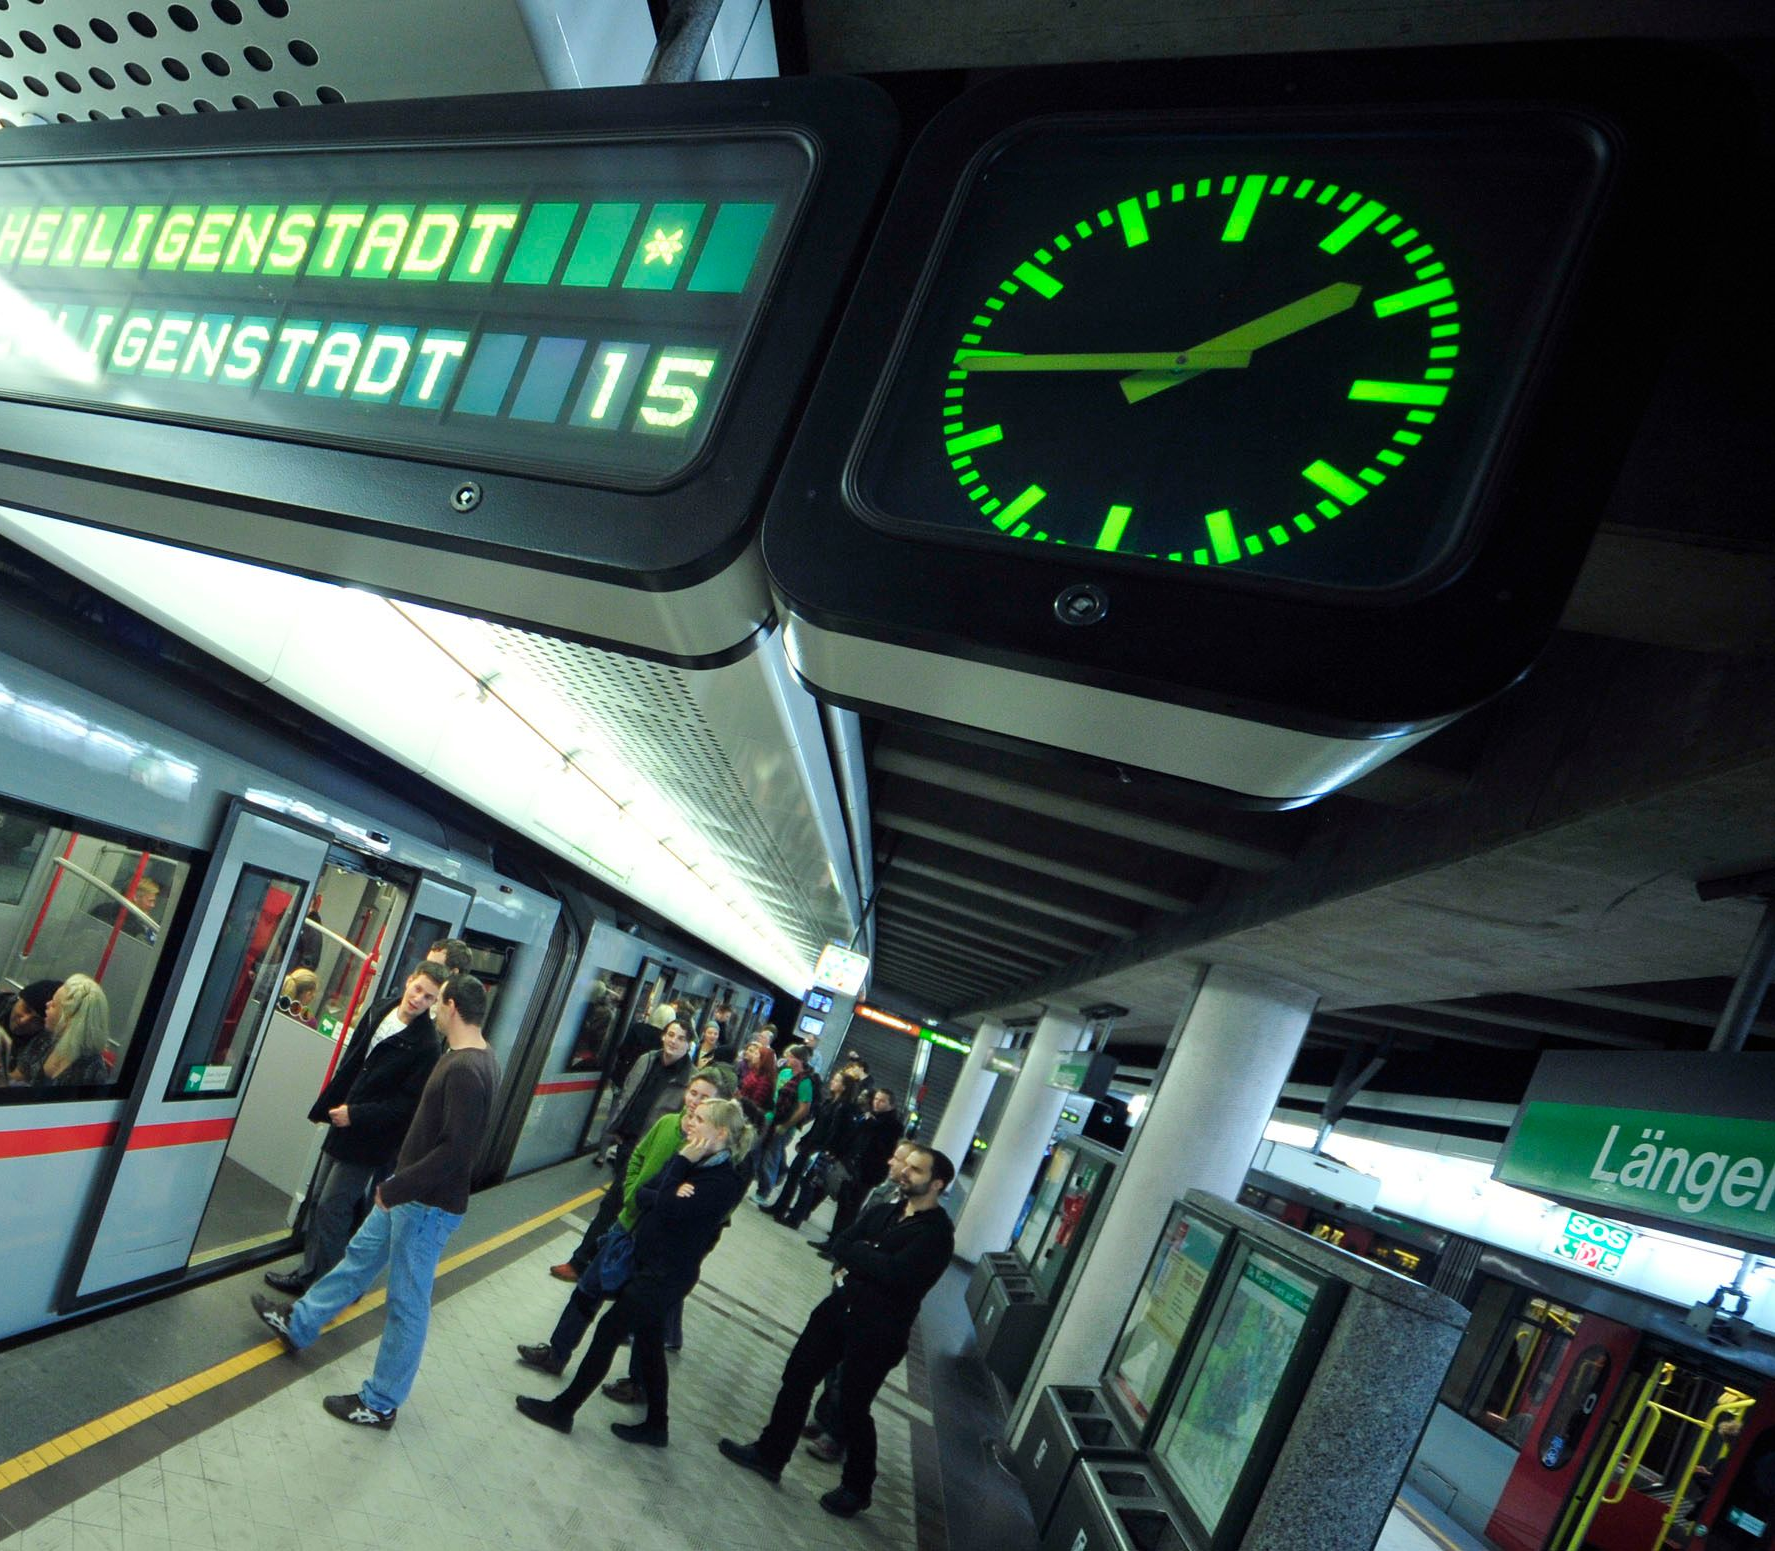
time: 1:44
